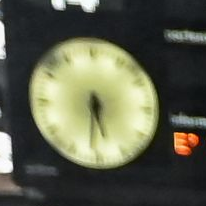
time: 5:31
